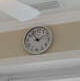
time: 1:53
